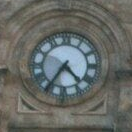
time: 4:35
